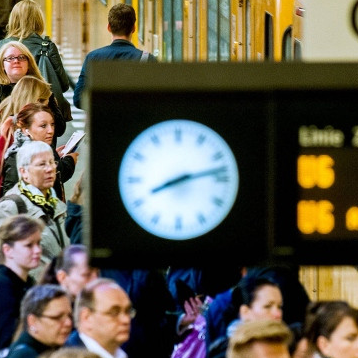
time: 8:12
